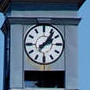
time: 2:06
